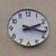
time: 2:17
